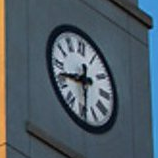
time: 8:30
